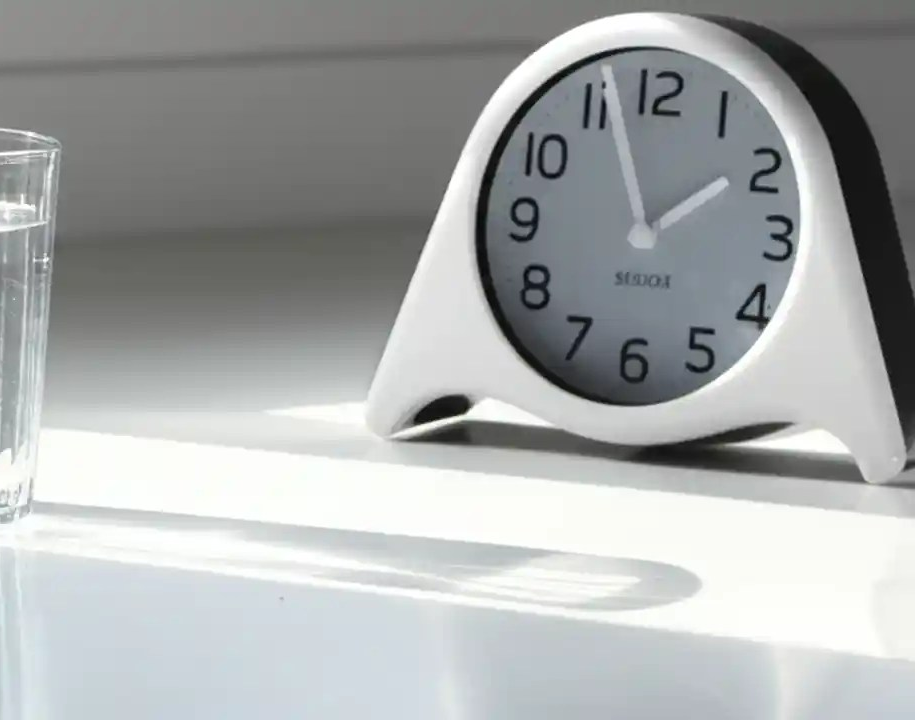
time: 1:56
